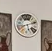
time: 8:11
